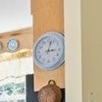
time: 3:02
